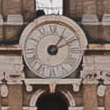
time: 1:11
